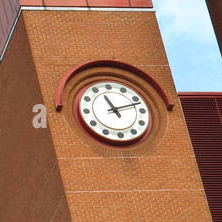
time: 11:12
